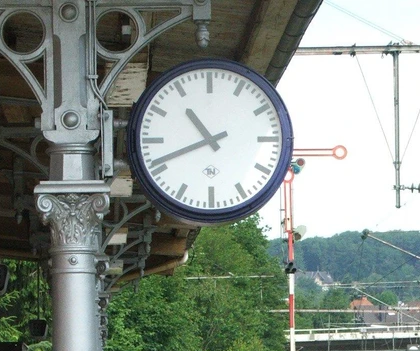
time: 10:41
